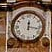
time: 12:16
